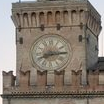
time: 8:14
